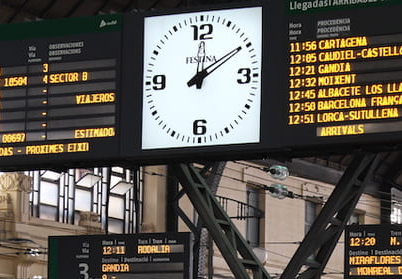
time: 12:09
